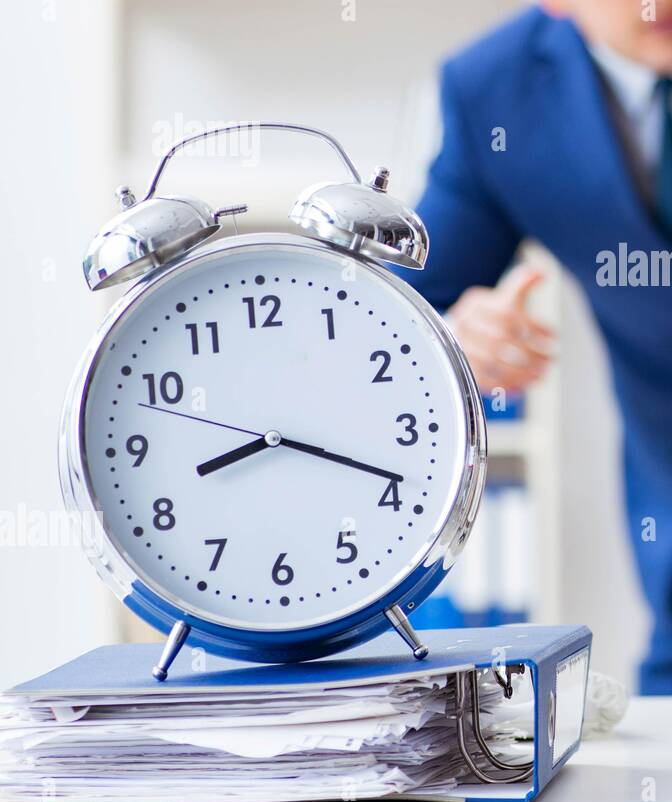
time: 8:18
